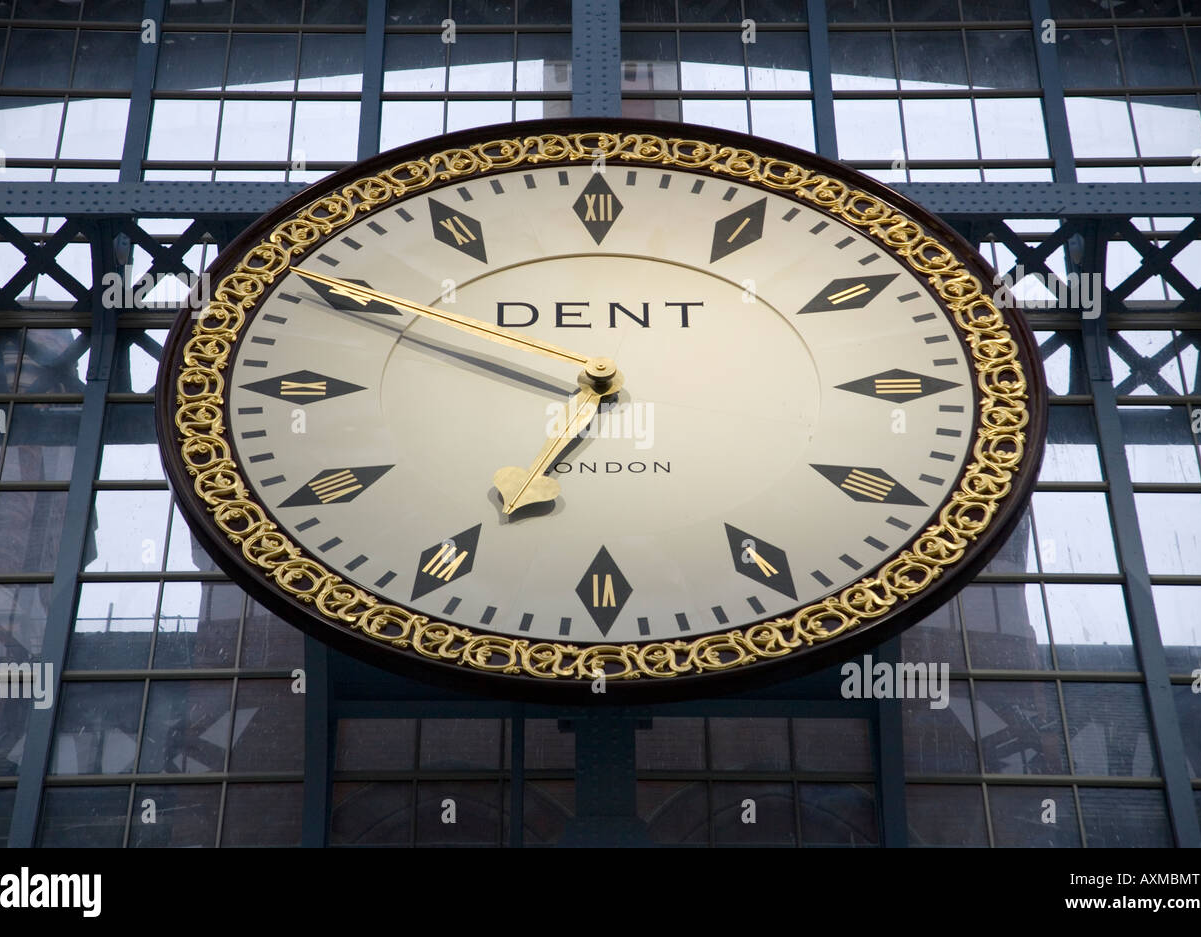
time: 6:49
